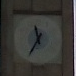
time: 11:35
